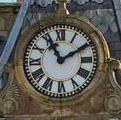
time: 11:09
